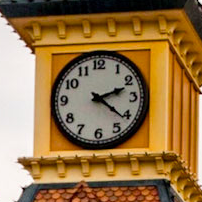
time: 2:21
